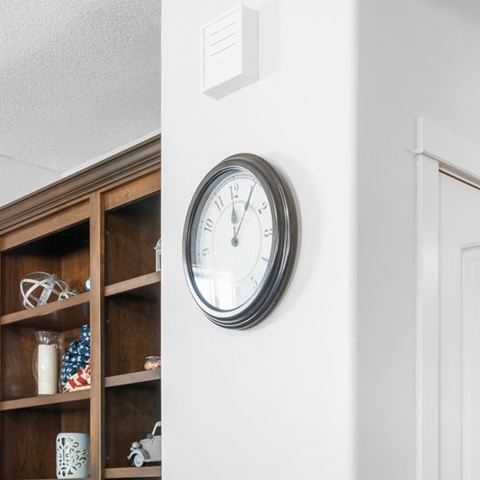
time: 12:05
